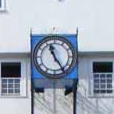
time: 11:24
